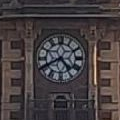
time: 4:40
